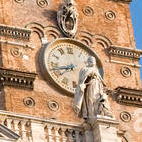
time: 7:42
